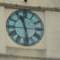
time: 11:28
